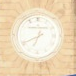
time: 6:40
